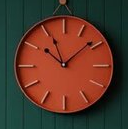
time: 11:08
